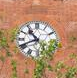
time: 10:41
